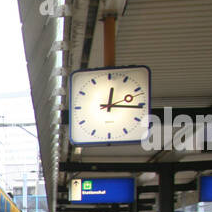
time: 12:15
